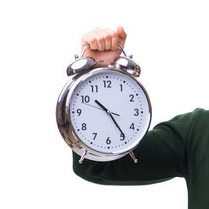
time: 10:24
